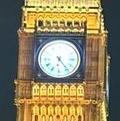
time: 6:23
